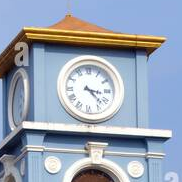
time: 3:22
